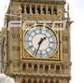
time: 1:33
